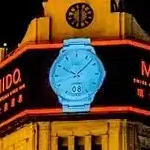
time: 10:07
